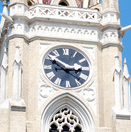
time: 2:50
